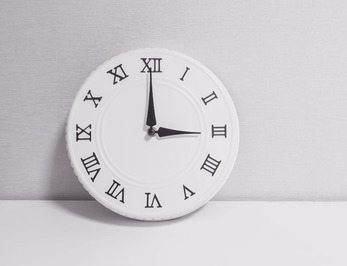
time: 3:00
